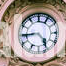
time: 4:44
